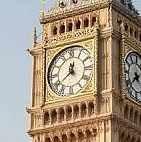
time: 12:38
